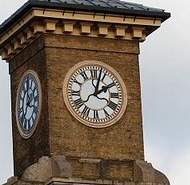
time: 2:02
